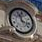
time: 11:17
